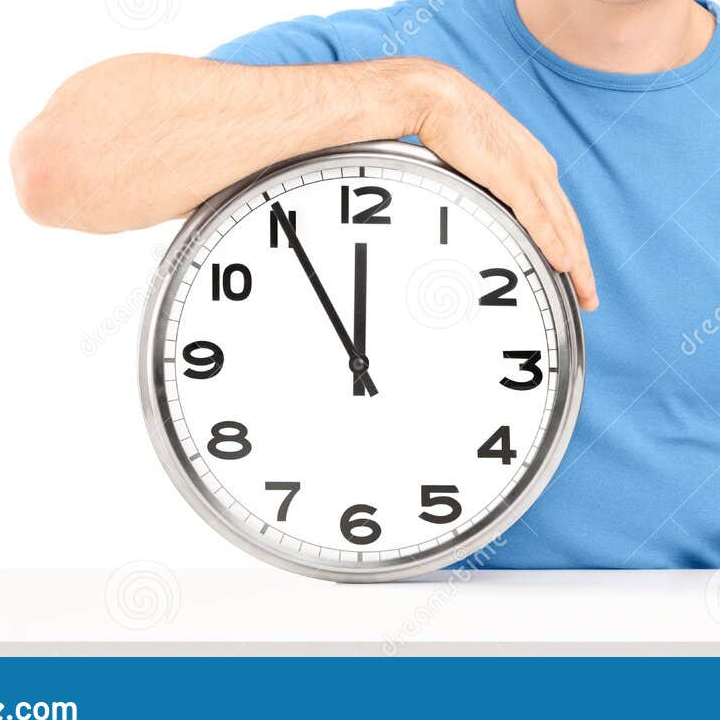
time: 11:55
